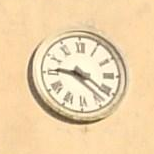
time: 9:21
